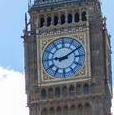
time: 9:10
